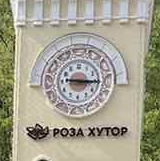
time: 3:15
